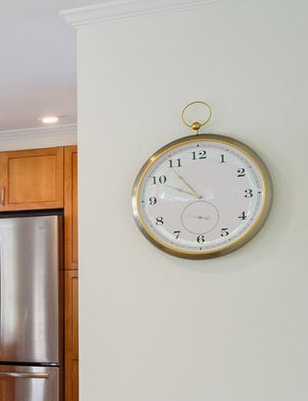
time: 10:47
